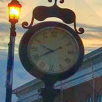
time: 9:40
